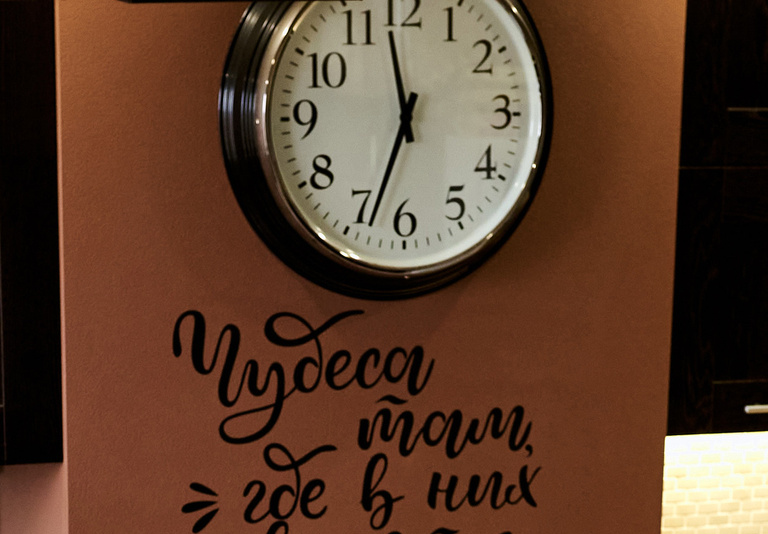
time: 11:33
